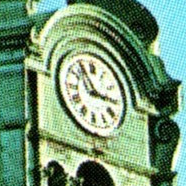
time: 2:54
